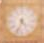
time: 4:33
